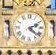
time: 2:21
